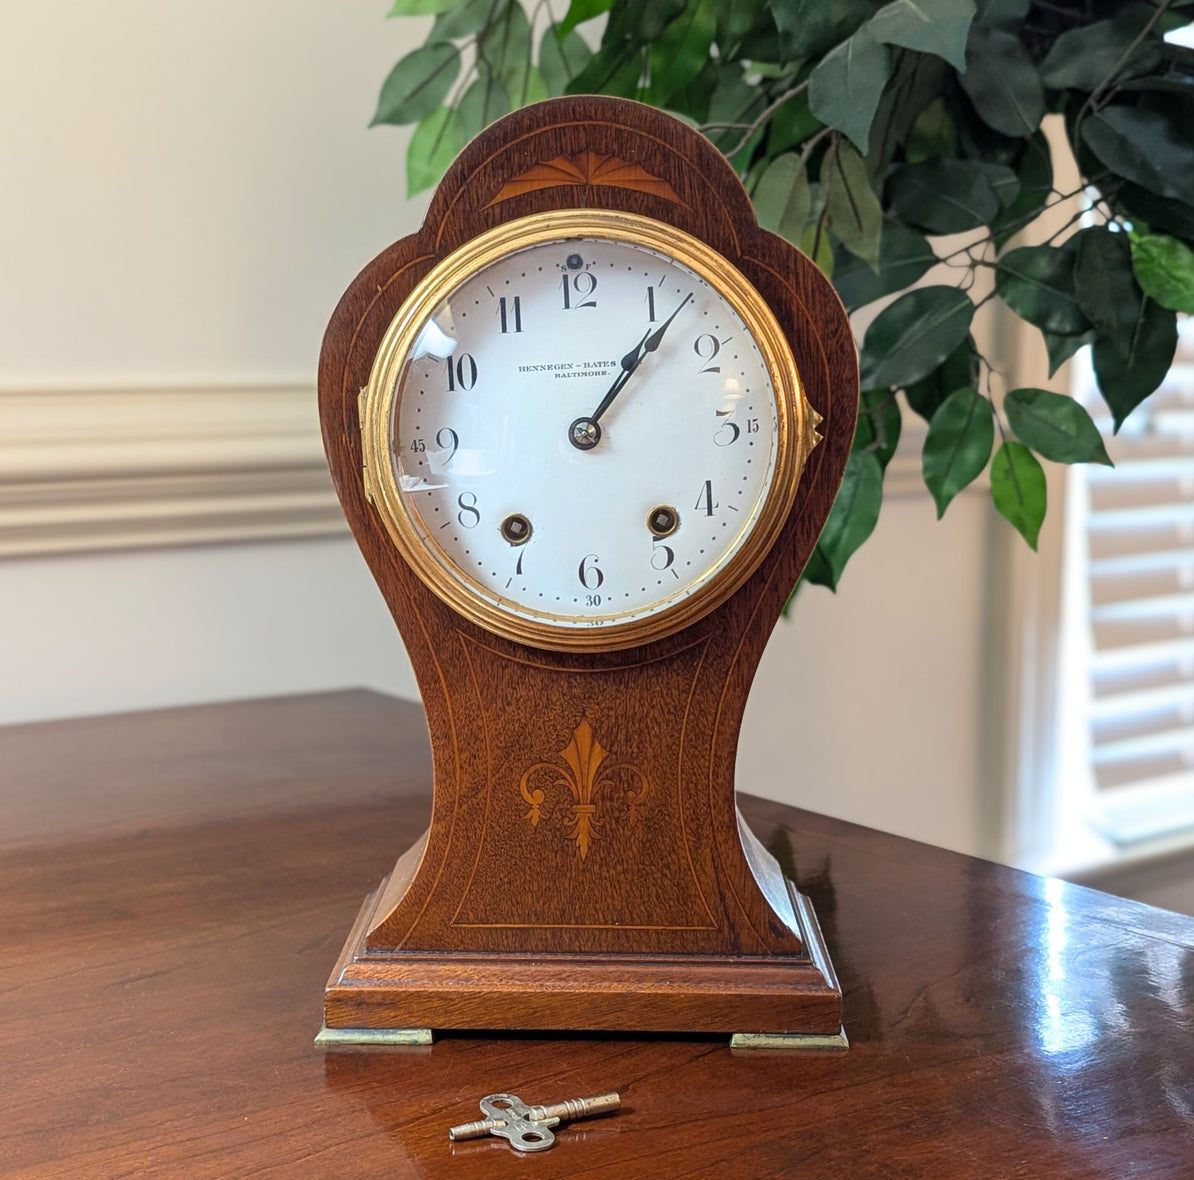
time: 1:06
